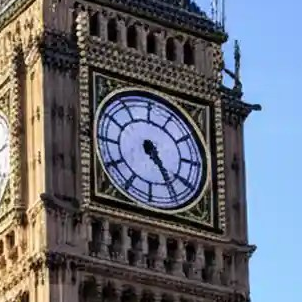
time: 4:24
